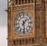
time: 1:28
